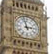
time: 2:57
